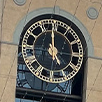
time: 4:59
